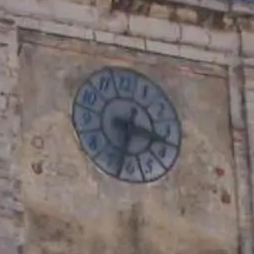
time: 3:32
